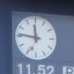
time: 11:46
